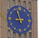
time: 8:56
